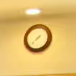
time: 7:37
